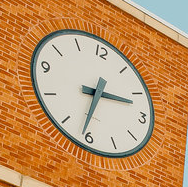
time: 2:31
